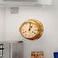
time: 1:01
